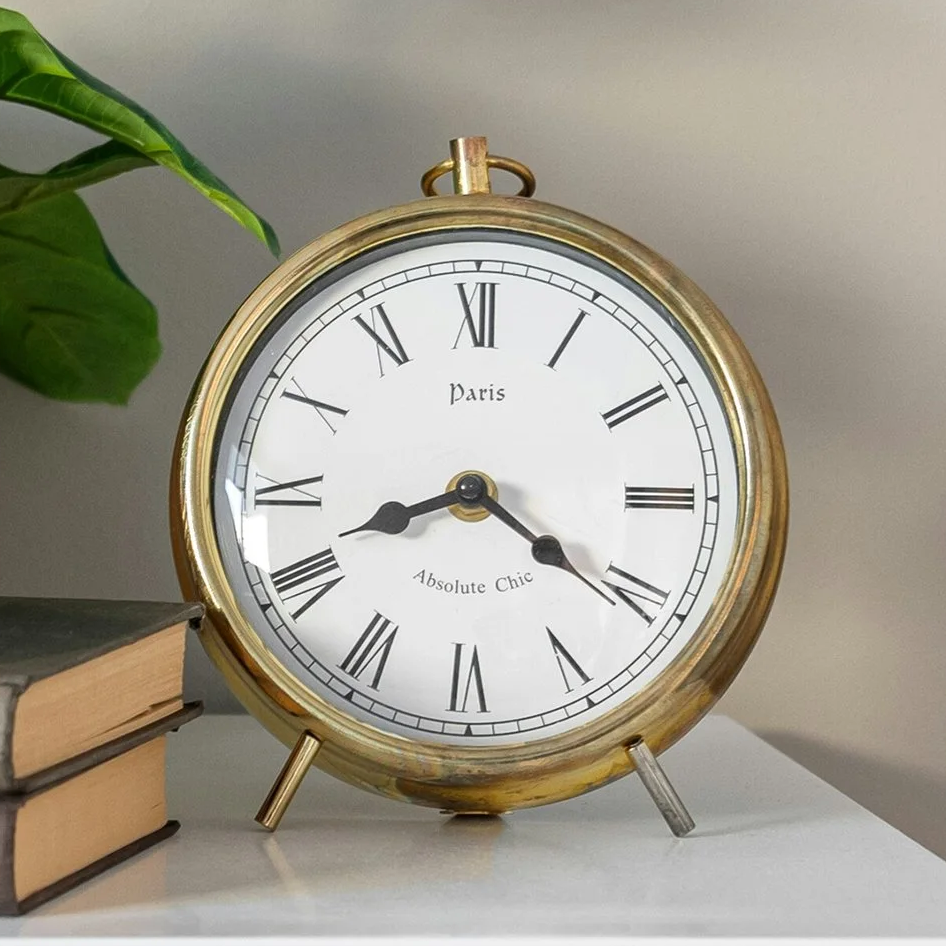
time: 8:20
